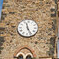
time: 11:25
